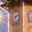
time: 7:12
